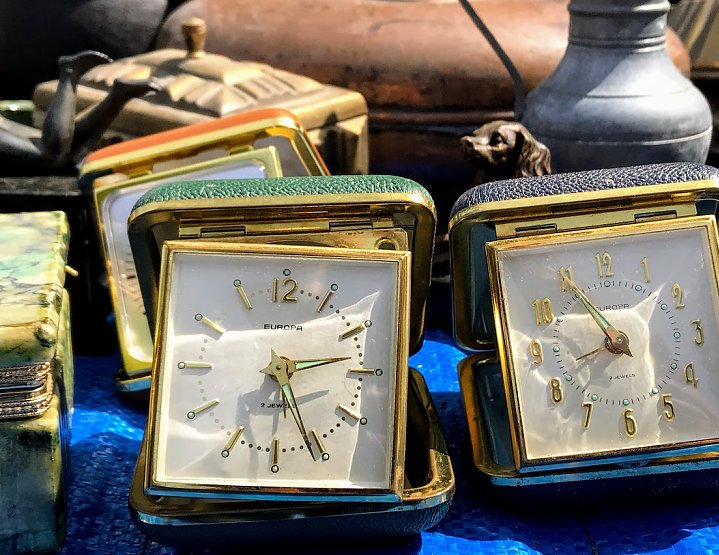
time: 2:25
